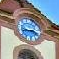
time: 3:43
